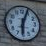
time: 6:03
